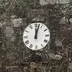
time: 12:02
